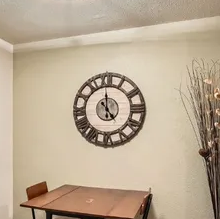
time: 4:59
